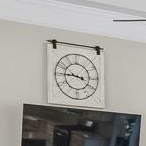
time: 3:45
